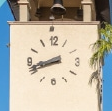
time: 8:41
